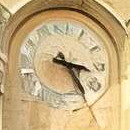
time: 3:24
